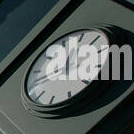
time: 11:41
